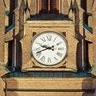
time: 9:41
